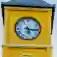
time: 5:15
